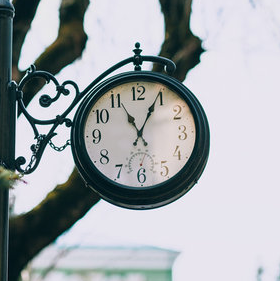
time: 11:04
